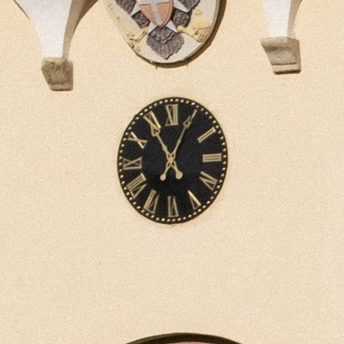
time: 11:04
